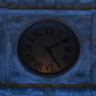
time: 5:09
